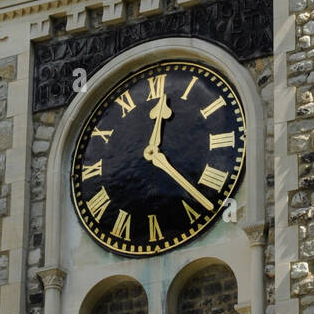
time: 12:22
